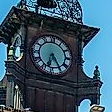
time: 6:24
